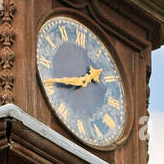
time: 1:41
